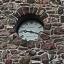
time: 9:18
